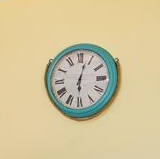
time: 6:02
